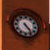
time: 4:23
